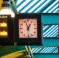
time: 12:57
